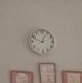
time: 12:49
